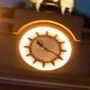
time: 10:19
